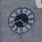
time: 4:42
